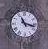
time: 11:17
